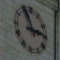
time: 2:56
